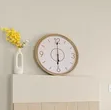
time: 6:00
